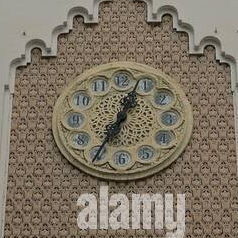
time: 12:34
